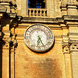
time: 6:25
